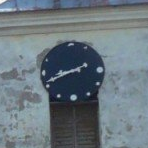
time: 8:41
